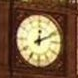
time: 12:10
